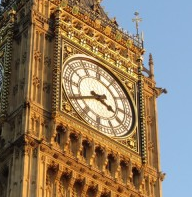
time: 3:40
